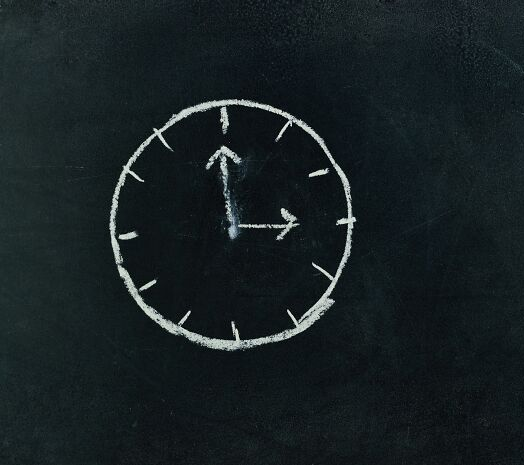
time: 2:59
